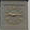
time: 9:14
